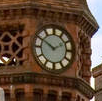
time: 1:50
